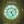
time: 5:08
